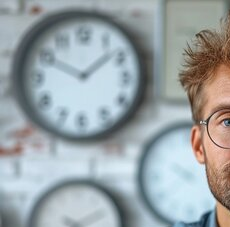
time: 1:49
